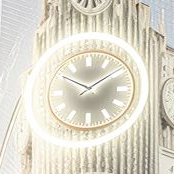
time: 10:08
